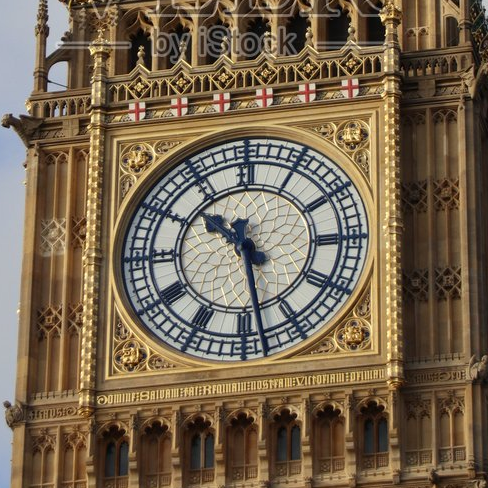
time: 10:28
